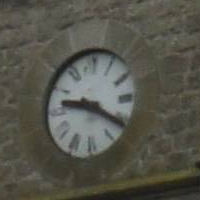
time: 9:20
